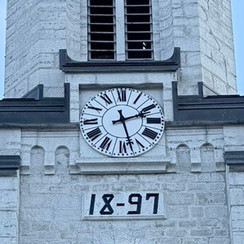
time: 2:27
